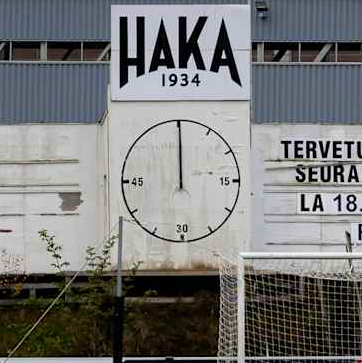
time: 11:59
